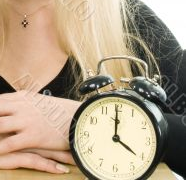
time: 4:00
